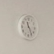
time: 11:25
